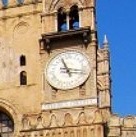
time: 11:17
